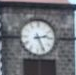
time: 2:25
